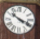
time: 10:18
